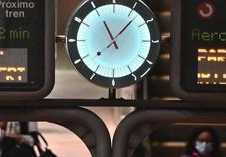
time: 11:07
